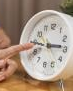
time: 2:44
